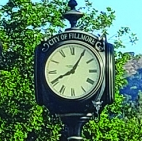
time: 8:05
